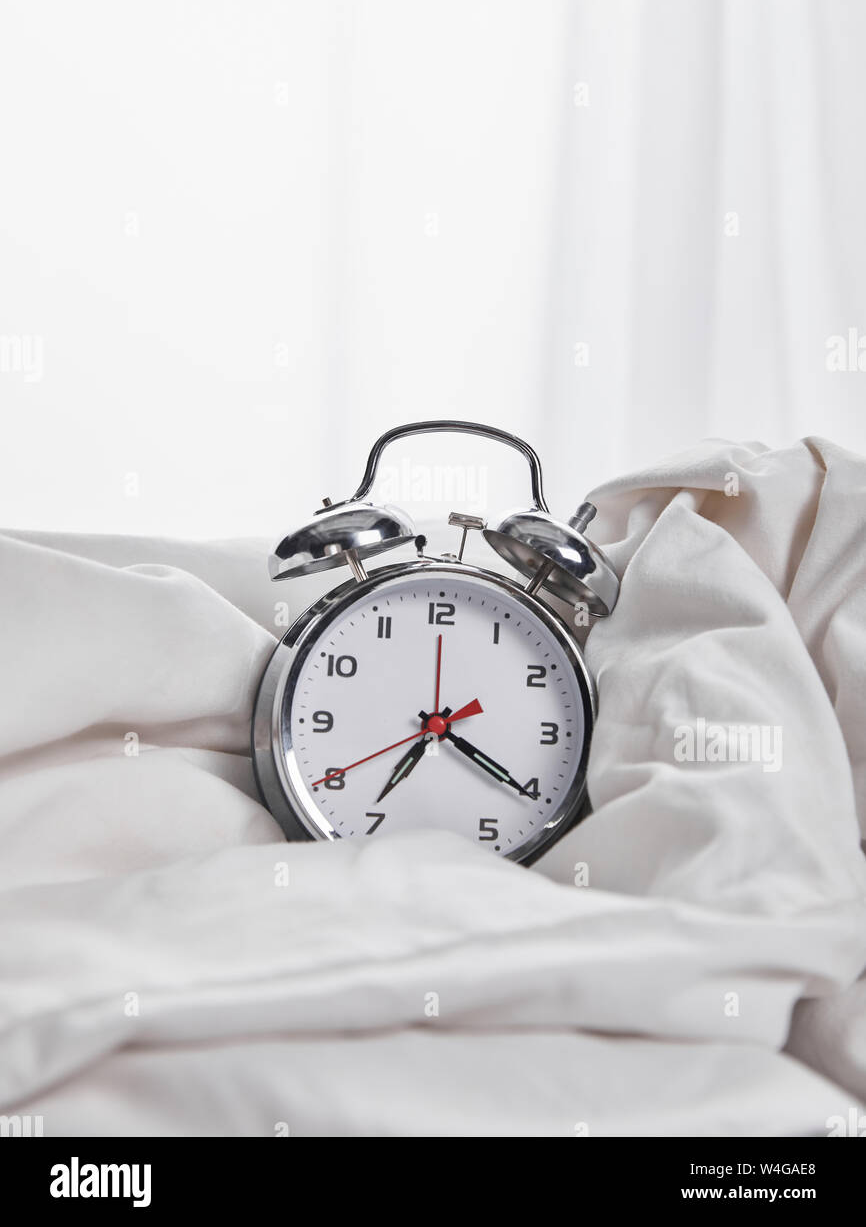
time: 7:20
